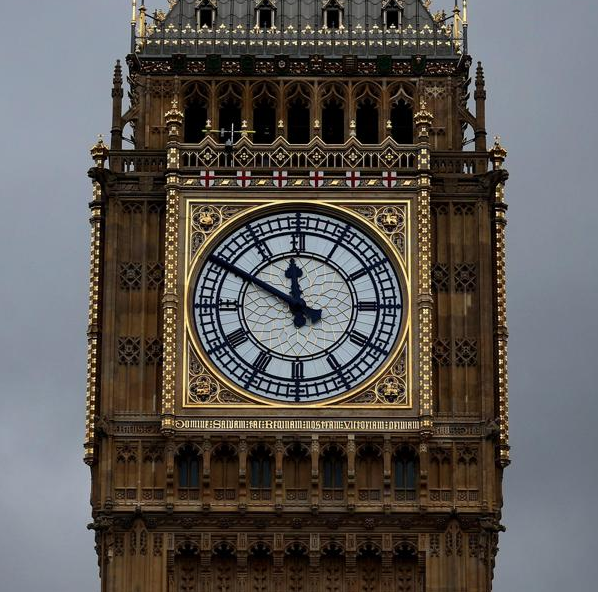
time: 11:49
